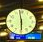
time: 5:58
